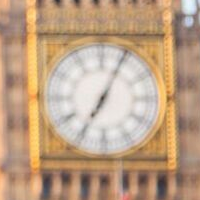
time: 7:04
